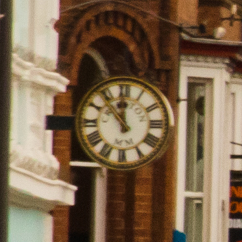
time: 11:53
